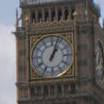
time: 1:03
